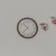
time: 10:37
